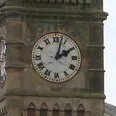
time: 2:02
